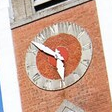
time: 5:51
